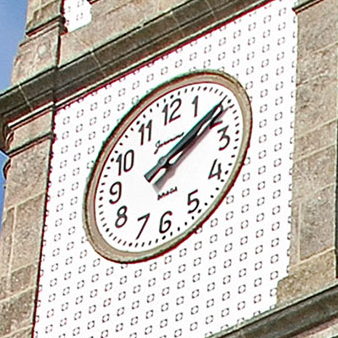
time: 2:09
